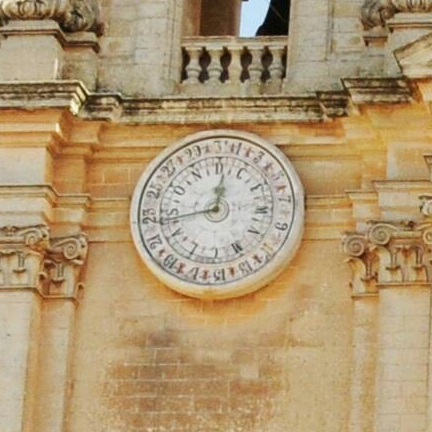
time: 12:43
